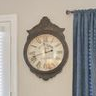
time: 11:42
